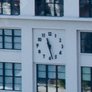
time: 11:28
